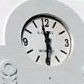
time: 11:30
